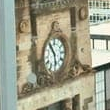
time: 10:28
